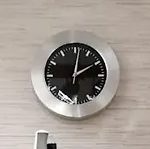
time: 2:01
